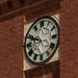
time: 9:48
